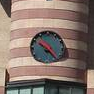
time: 10:24
